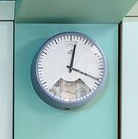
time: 12:18
